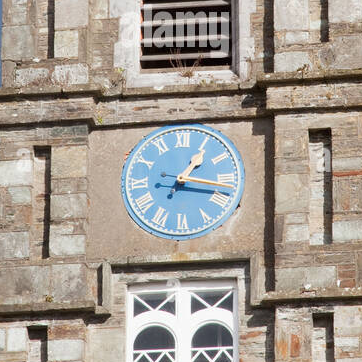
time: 1:16
